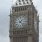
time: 1:22
